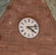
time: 4:12
